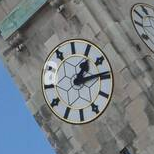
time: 1:13
